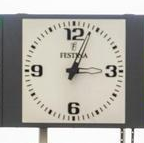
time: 3:03
